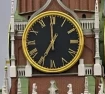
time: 6:59
